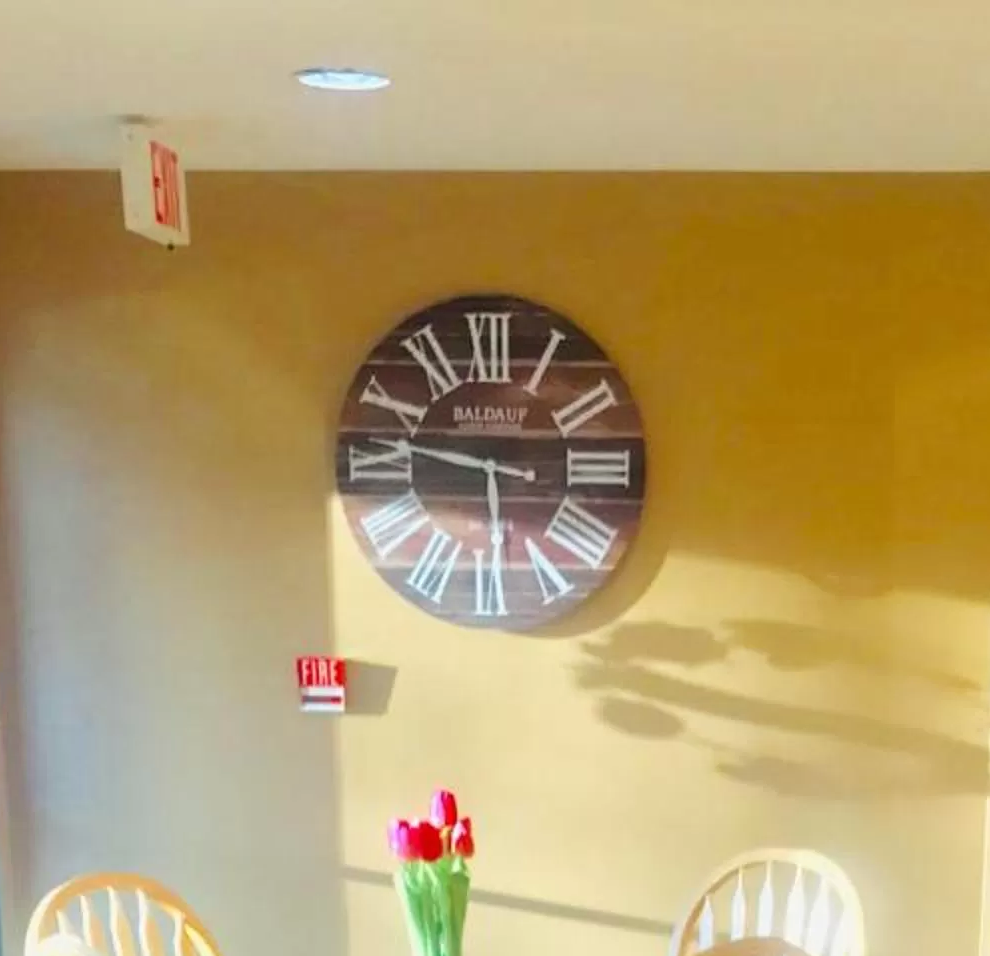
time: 5:46
